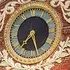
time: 7:27
